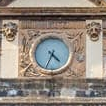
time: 4:34
